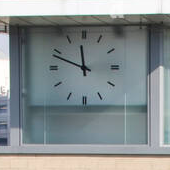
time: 11:48
